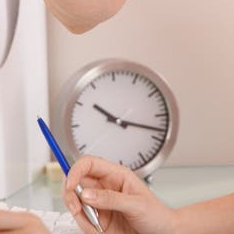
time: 10:18
